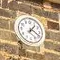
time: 1:19
